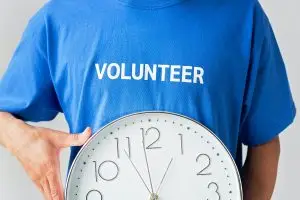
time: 12:58
